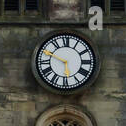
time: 5:49
